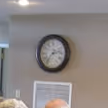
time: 2:36
